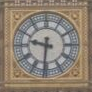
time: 9:31
